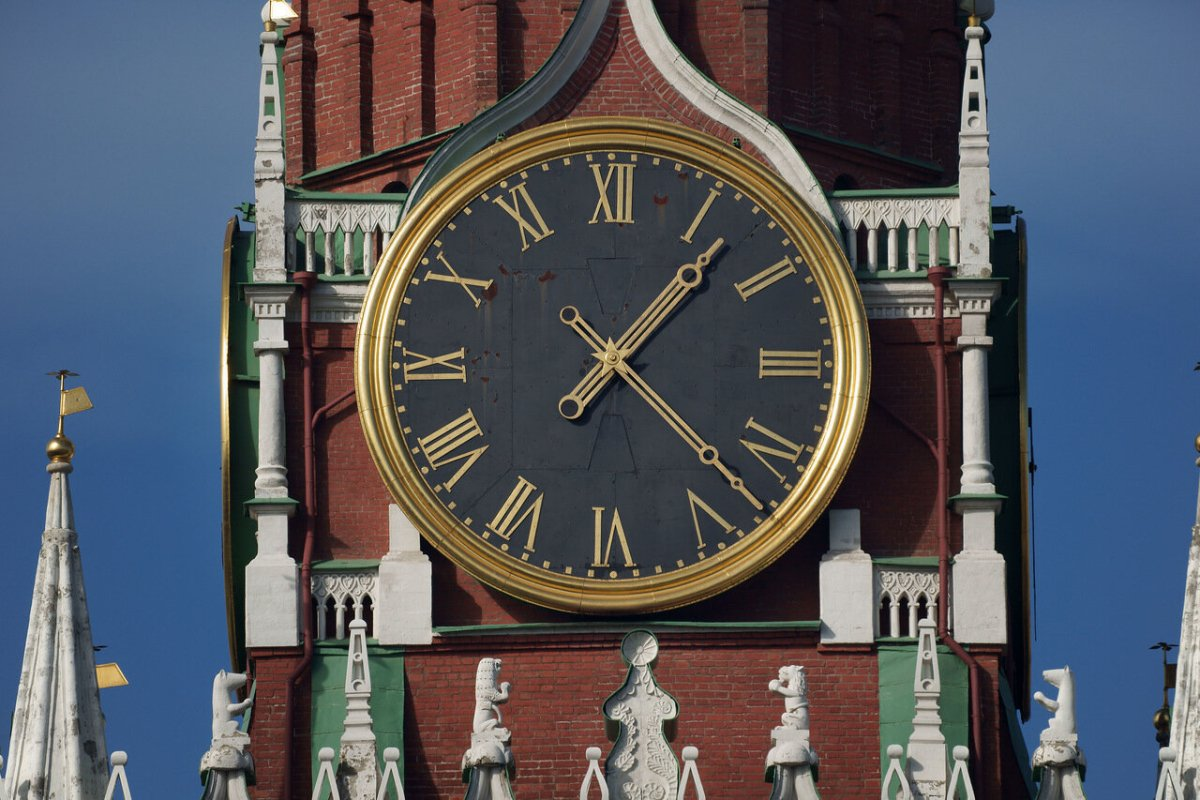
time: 1:22
